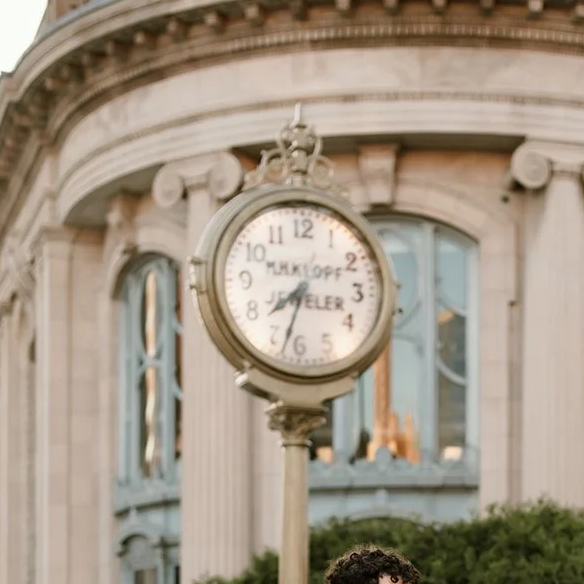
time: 7:32
